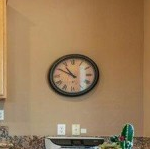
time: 10:50
